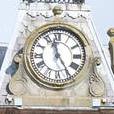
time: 11:24
